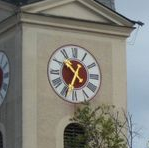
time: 10:34
